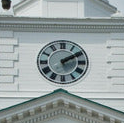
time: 2:09
